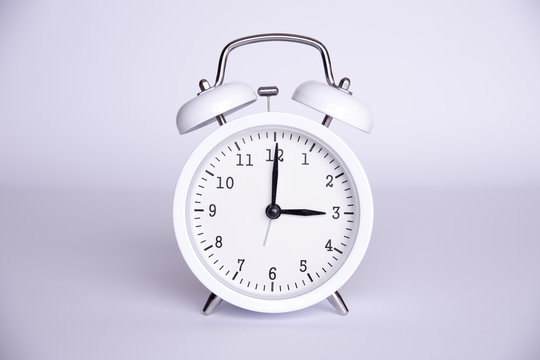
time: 3:00
